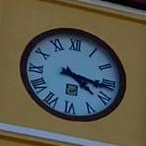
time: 4:16
